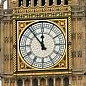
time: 11:53
